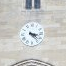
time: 3:22
